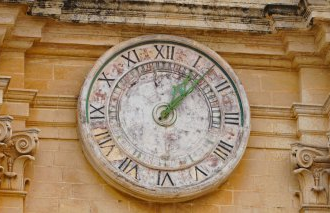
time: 1:07
